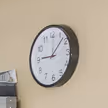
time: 9:07
